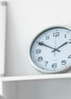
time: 1:50
